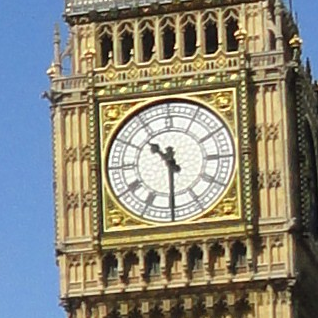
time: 10:30
